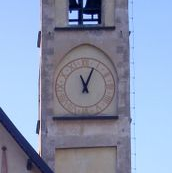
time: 11:03
